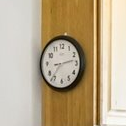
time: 2:36
